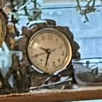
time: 9:32
